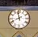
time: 11:41
